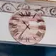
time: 10:36
